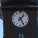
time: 1:24
